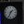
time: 1:34
